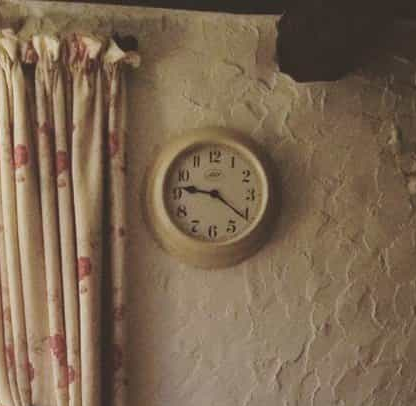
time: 9:21
